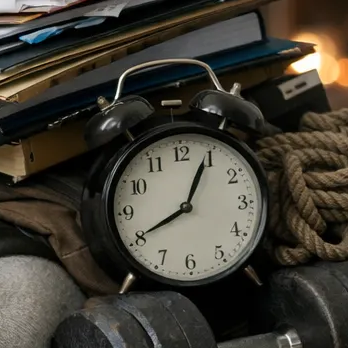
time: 8:04
